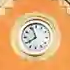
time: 7:56
